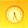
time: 6:26
